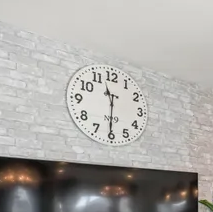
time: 11:30
